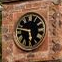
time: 5:46
